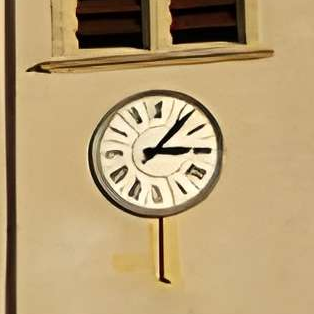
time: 3:06
